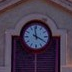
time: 3:58
